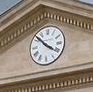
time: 3:52
